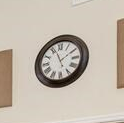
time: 1:56
